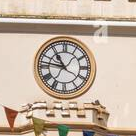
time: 10:46
